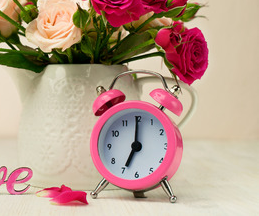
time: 7:00
